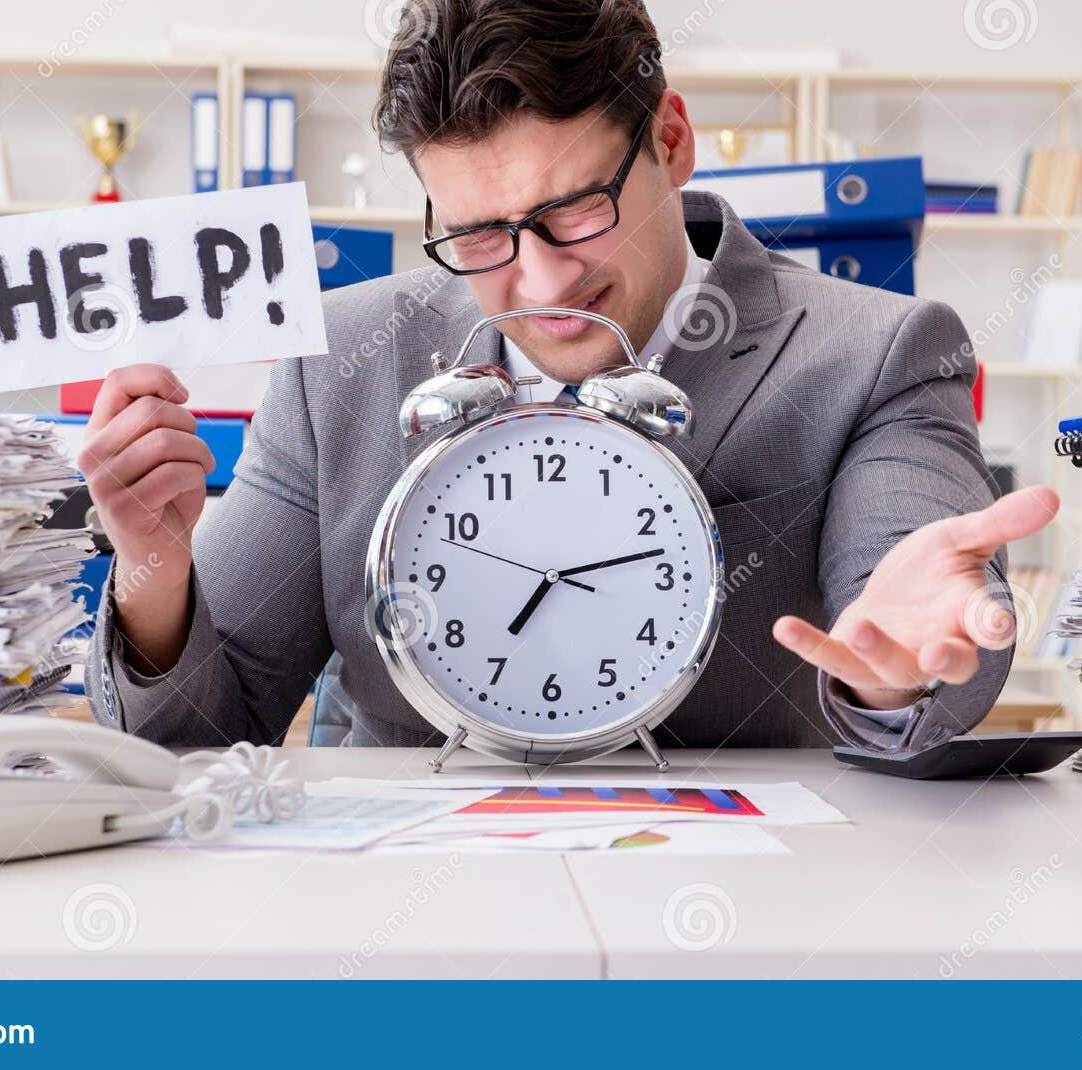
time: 7:13
